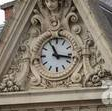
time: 11:16
